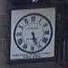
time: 5:26
